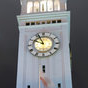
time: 9:56
